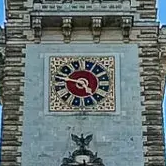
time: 4:47
